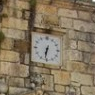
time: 6:31
